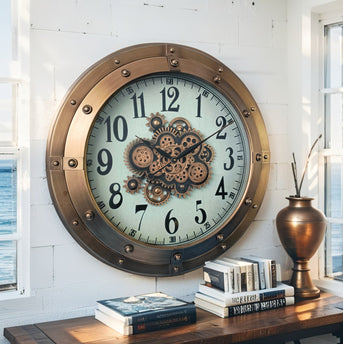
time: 11:10
